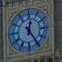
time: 12:24
